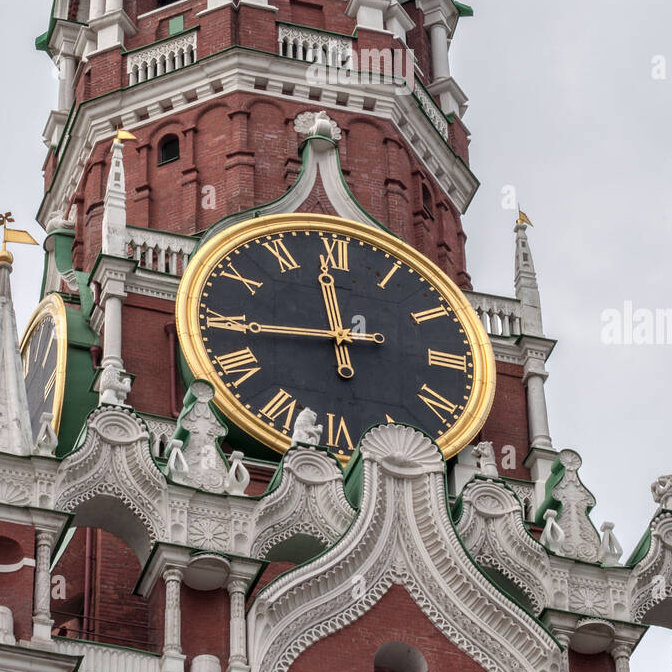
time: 11:44
